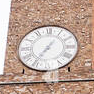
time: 7:05
